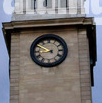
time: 8:50
